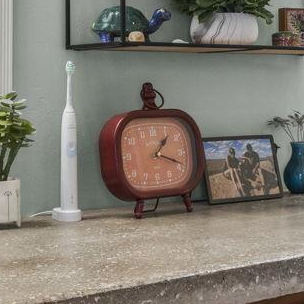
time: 1:18
